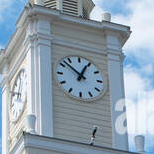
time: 12:52
